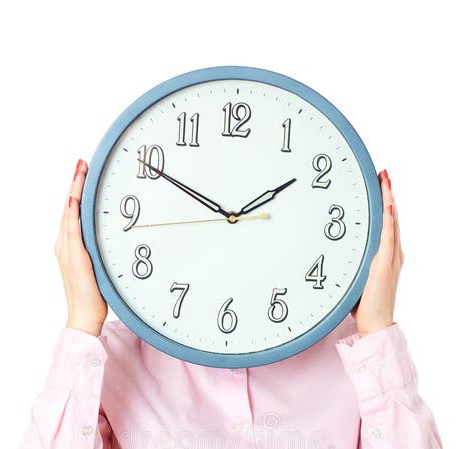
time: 1:49
